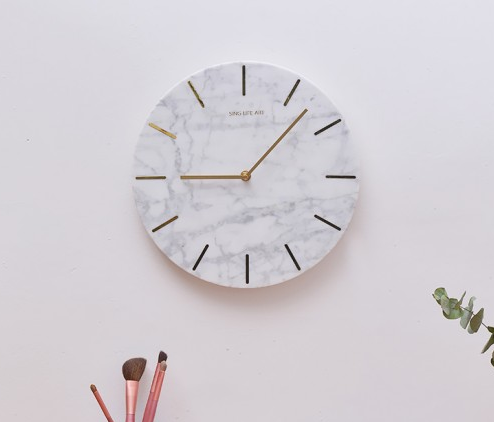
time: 9:07
